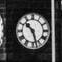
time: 10:27
